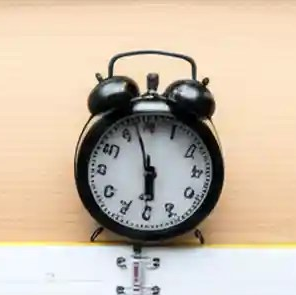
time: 5:57
